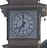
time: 6:59
